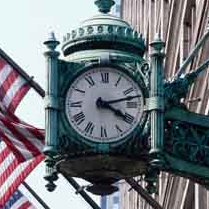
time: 4:12
